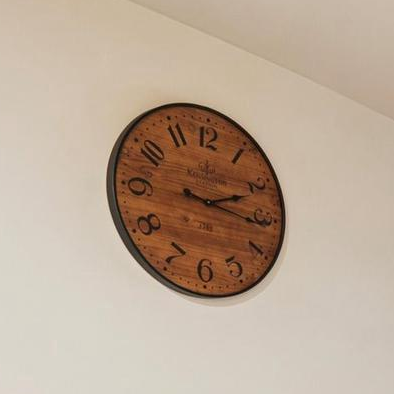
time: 2:16
